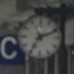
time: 7:11
